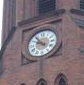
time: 9:53
